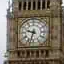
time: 9:33
